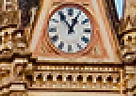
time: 12:53
